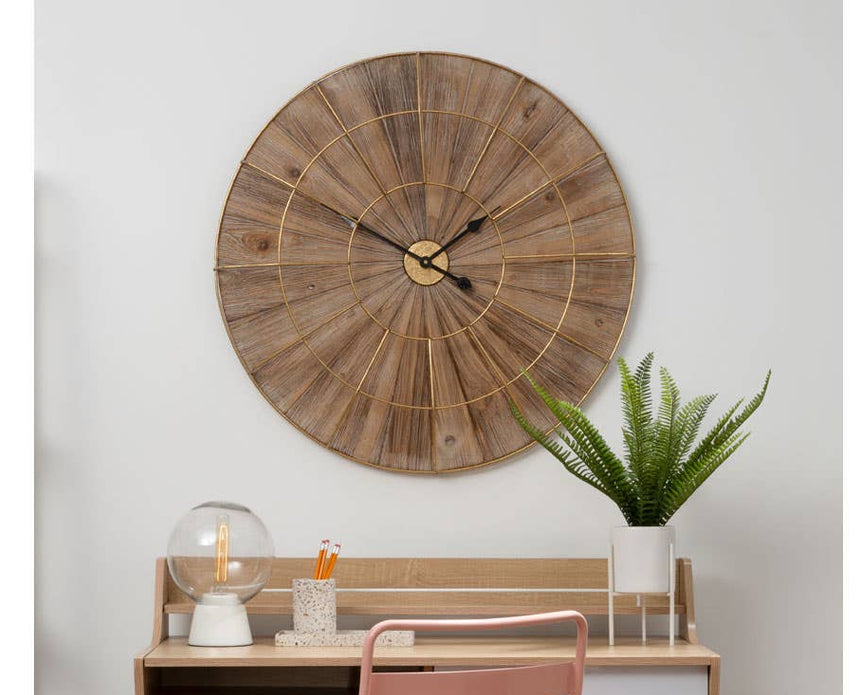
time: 1:49
